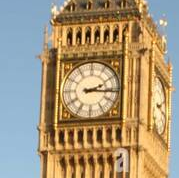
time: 2:15
